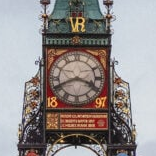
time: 3:41
